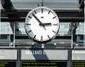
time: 2:53
